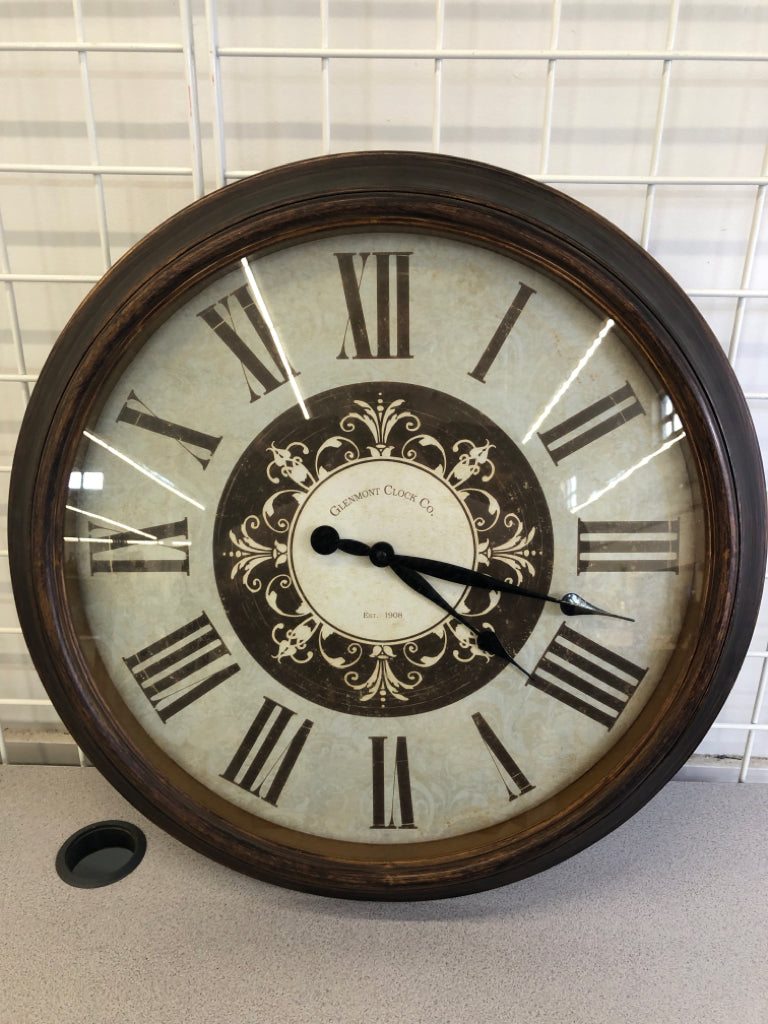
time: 4:17
